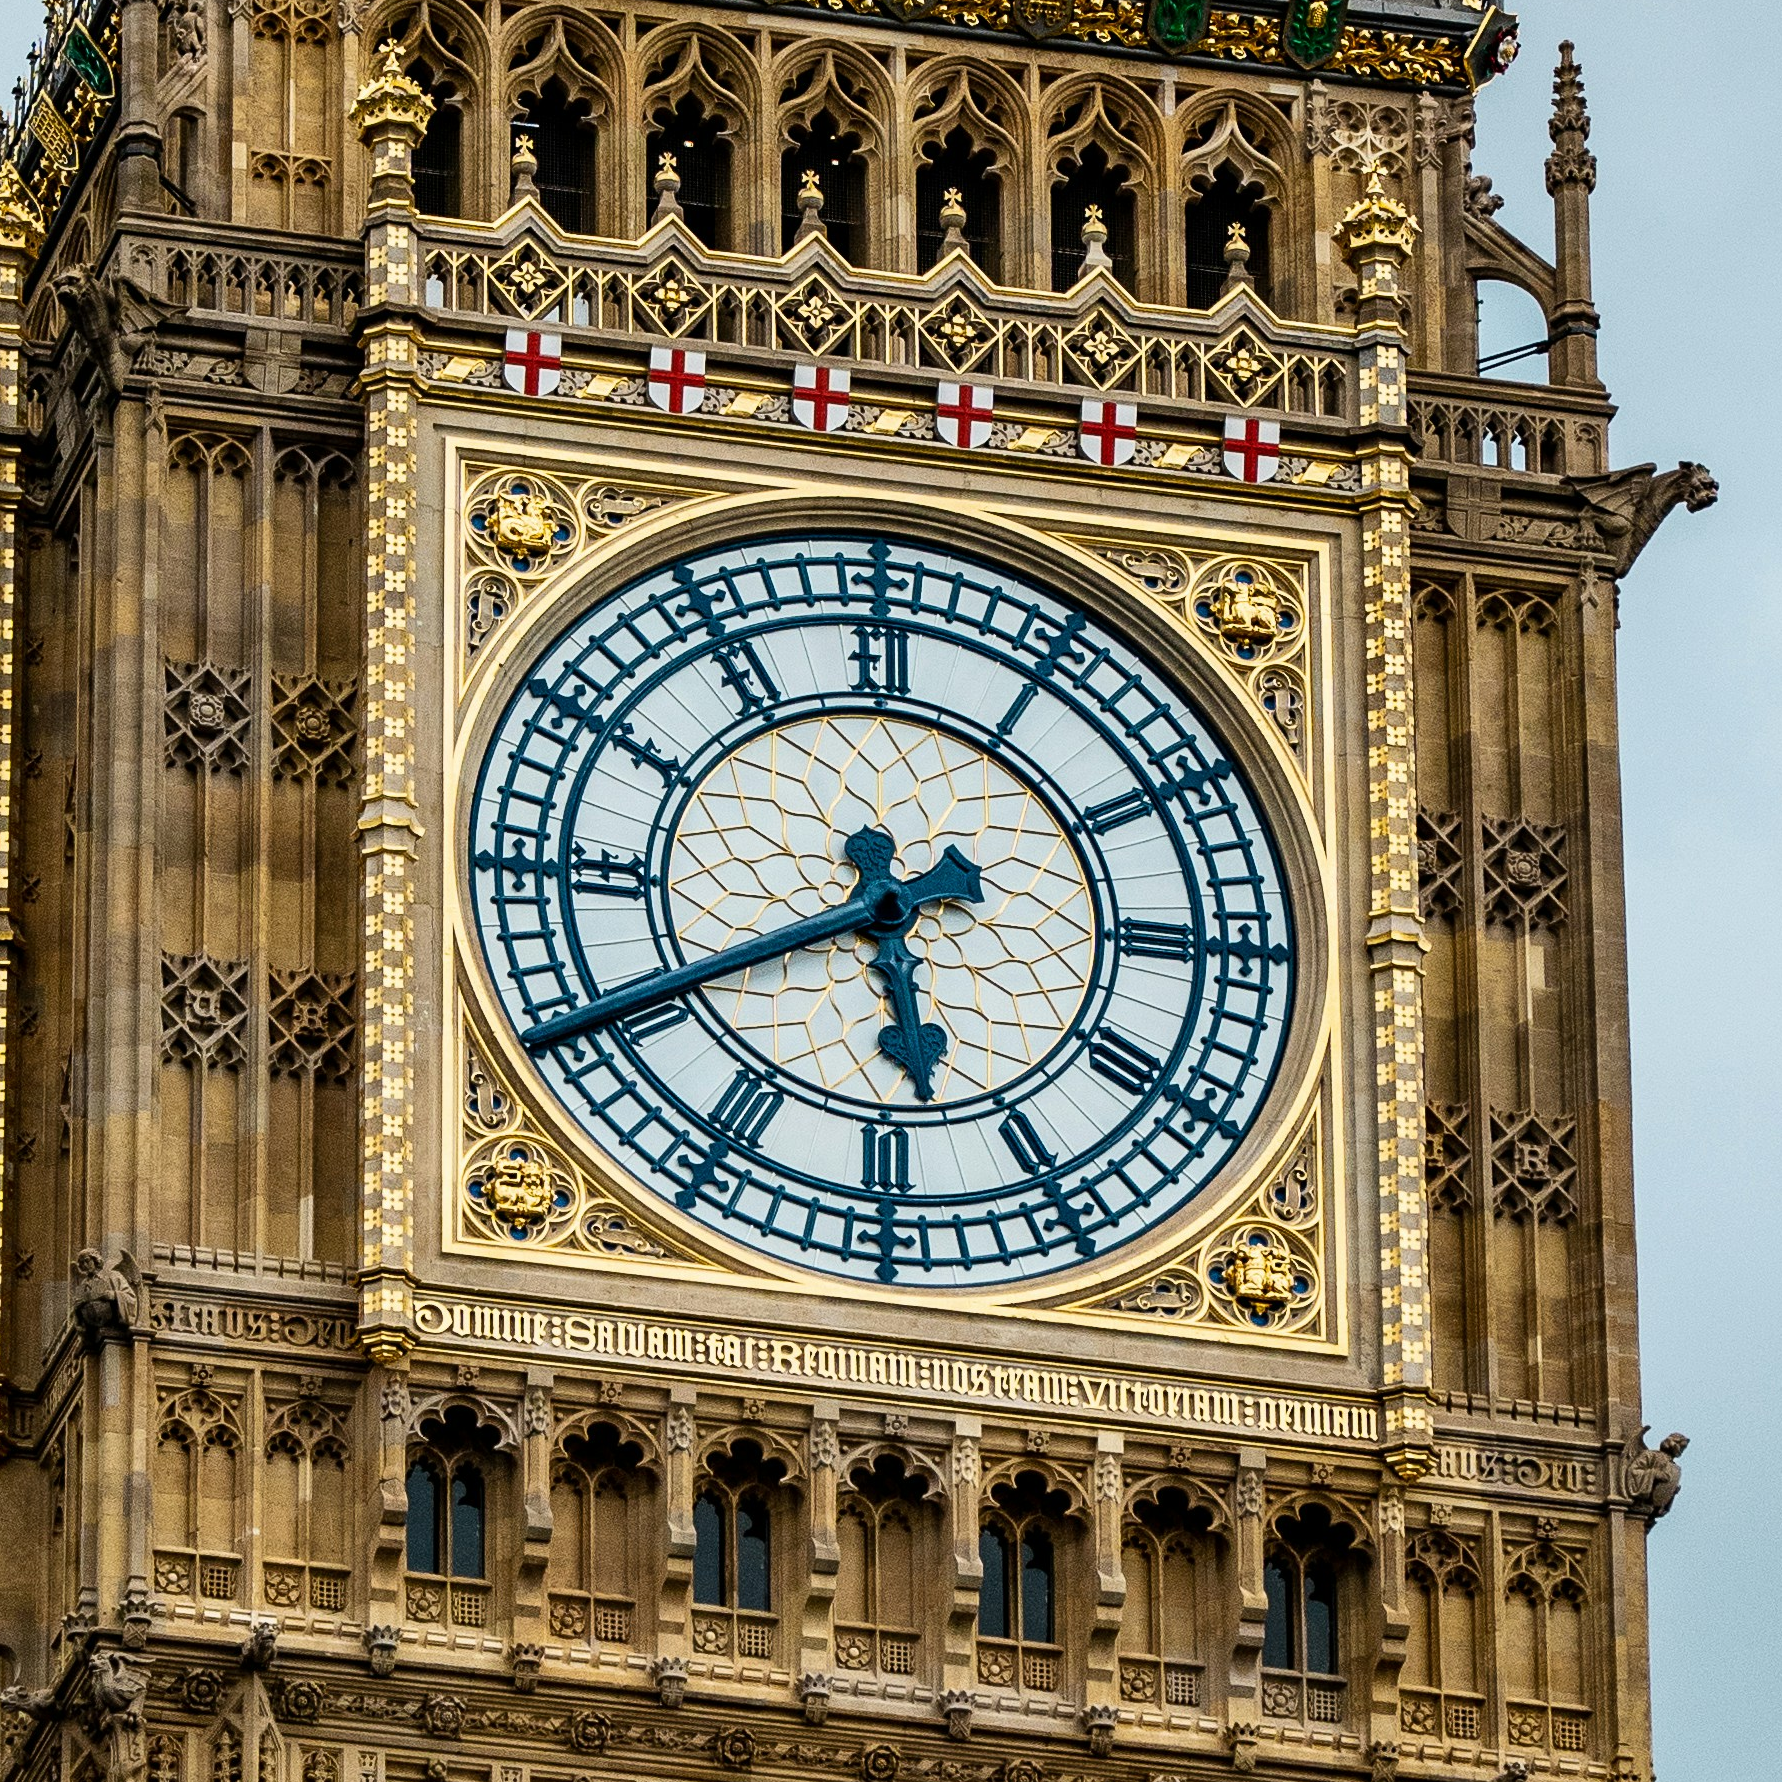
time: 5:40
